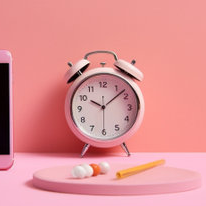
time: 10:08
